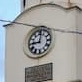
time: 9:01
